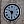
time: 10:30
